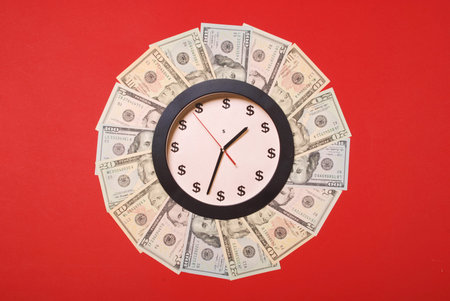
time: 1:32
